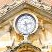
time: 2:27
